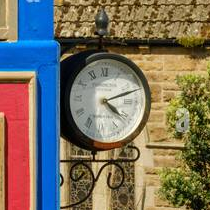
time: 4:11
